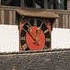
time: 12:52
